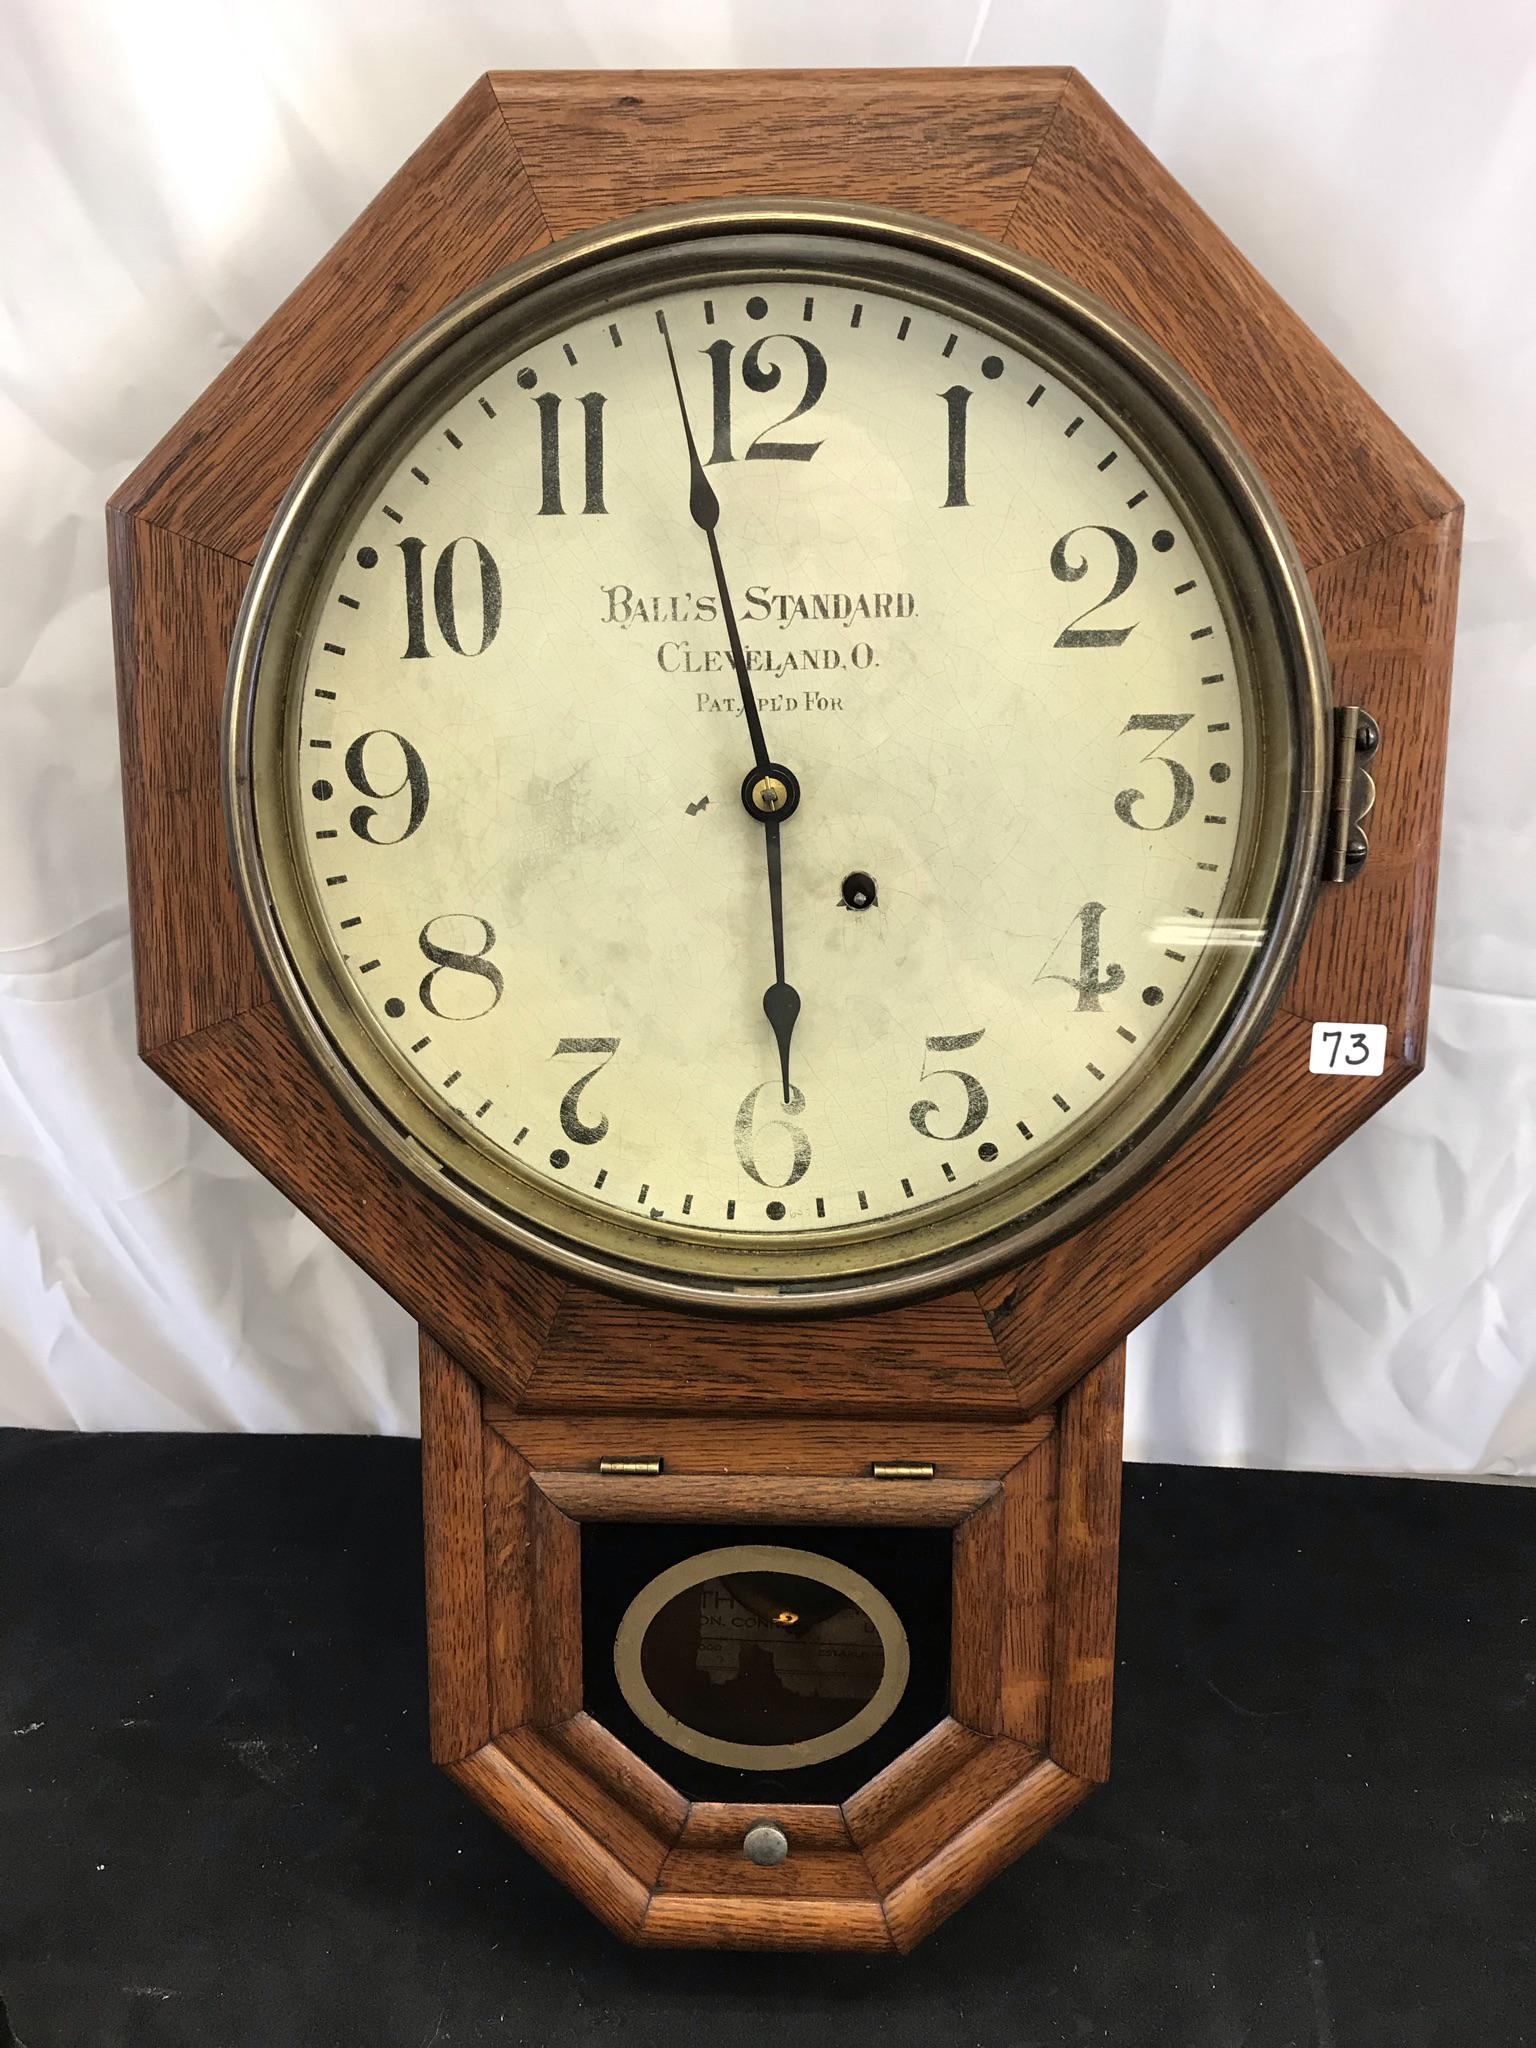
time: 5:58
